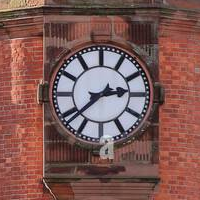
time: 2:38
